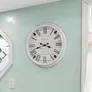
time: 3:41
